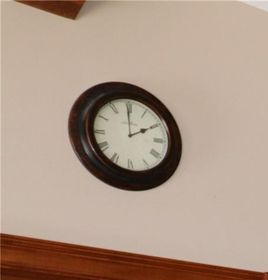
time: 1:59
